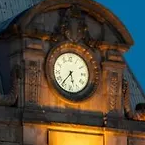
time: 5:36
